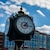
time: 1:16
